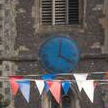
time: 4:01
